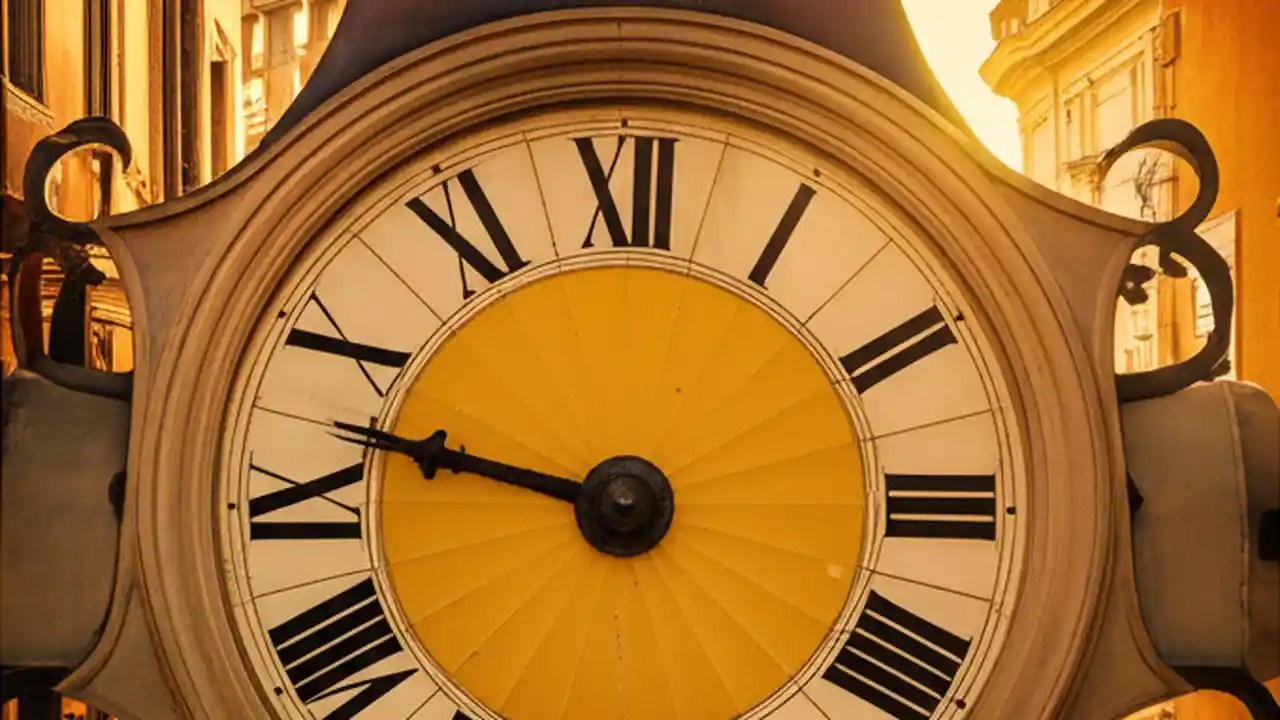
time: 9:47
